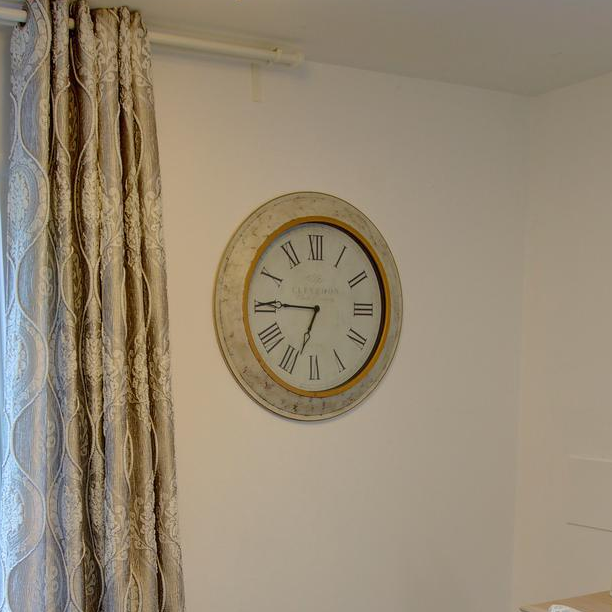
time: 6:45
